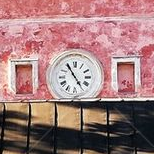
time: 4:54
